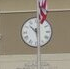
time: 10:28
